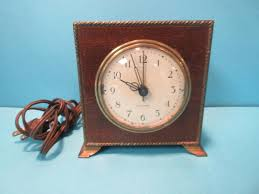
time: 10:00
